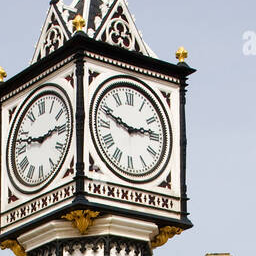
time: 2:48
